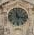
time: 11:16
